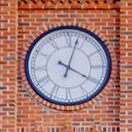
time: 4:02
